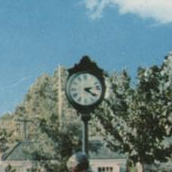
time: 2:21
